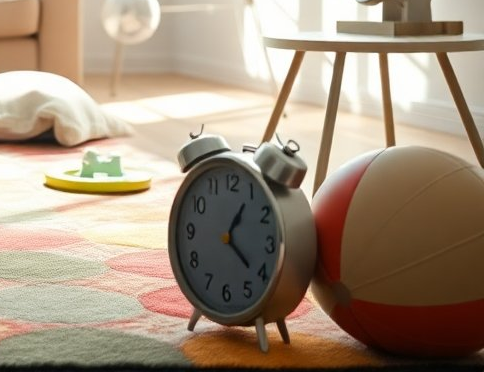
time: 1:21
